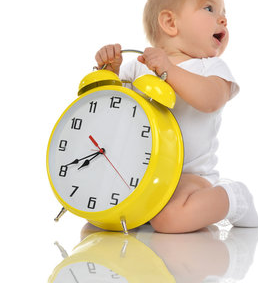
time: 7:40
